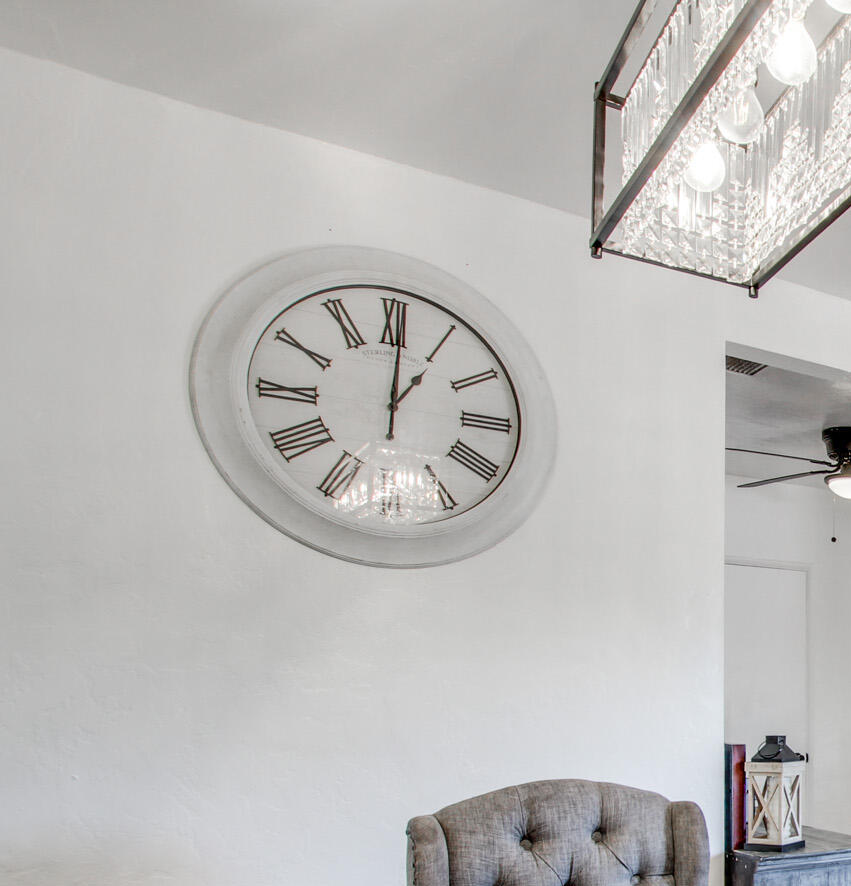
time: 1:00
